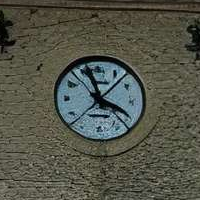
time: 3:57
